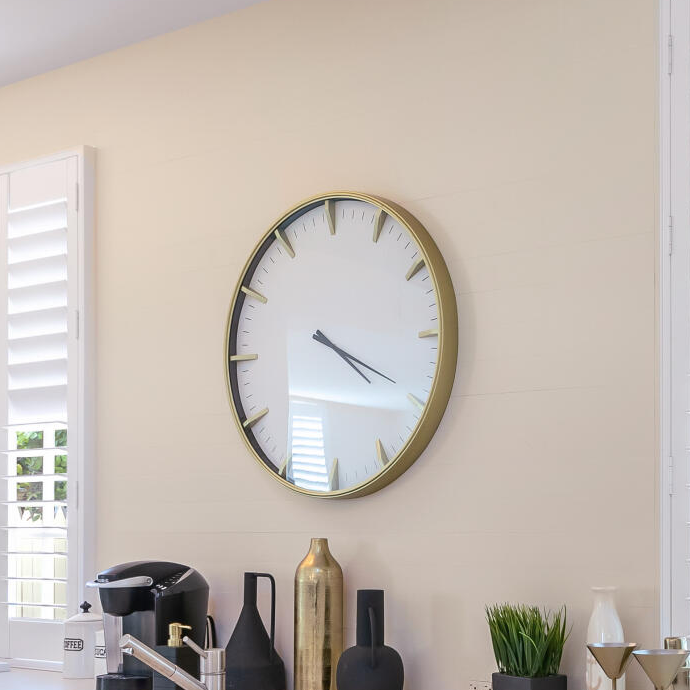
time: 4:19
